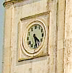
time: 4:27
